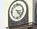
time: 3:22
